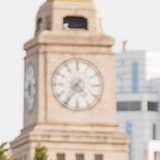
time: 4:35
